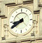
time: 8:40
